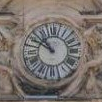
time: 10:50
